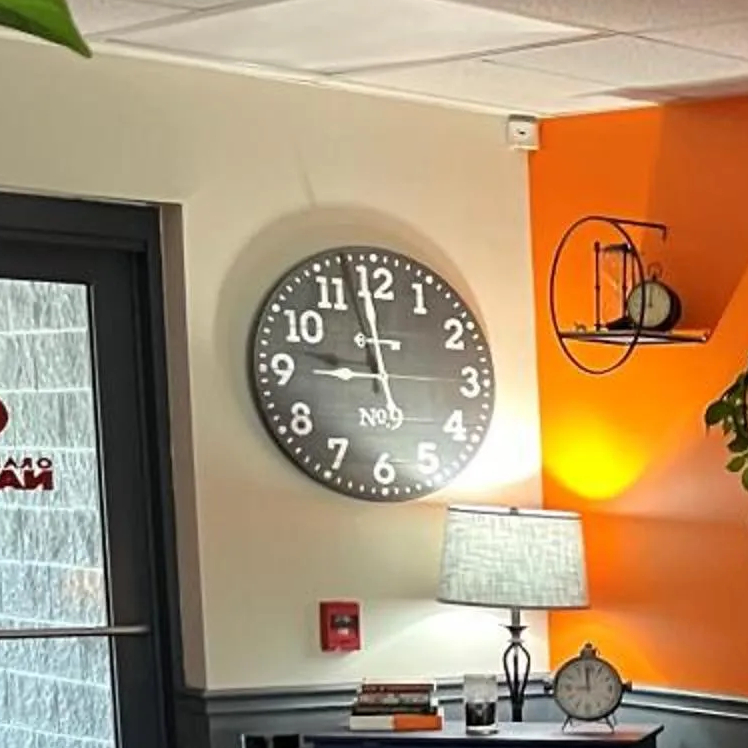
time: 8:58
